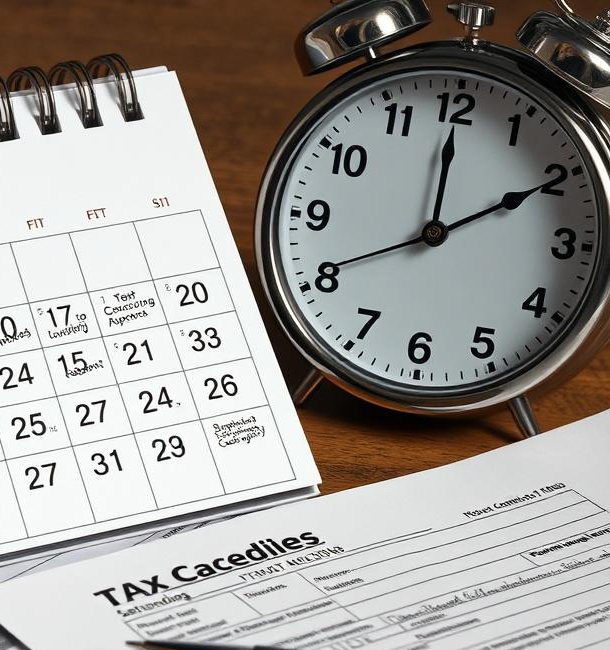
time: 2:00
